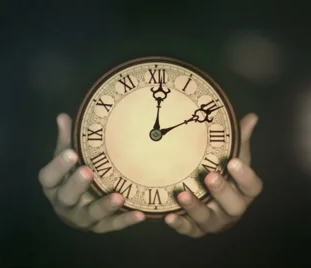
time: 12:10
